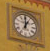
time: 12:59
